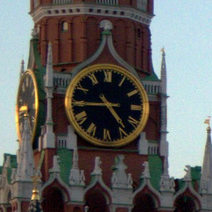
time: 4:44
